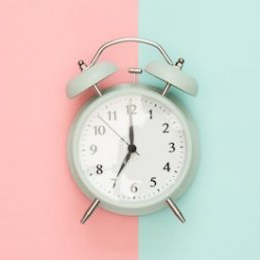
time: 7:00
